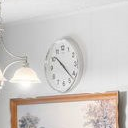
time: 10:22
